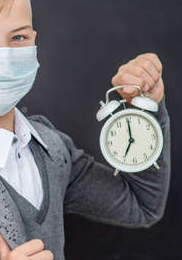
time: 7:00
